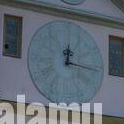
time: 12:16
